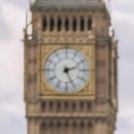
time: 2:26
